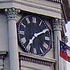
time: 7:10
